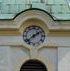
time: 1:37
